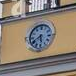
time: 5:40
